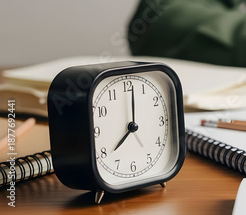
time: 8:01
